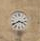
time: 3:40
